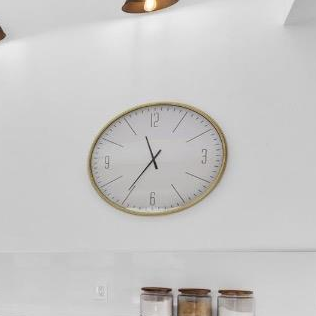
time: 11:35
